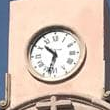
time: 10:32
